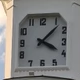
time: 4:07
